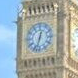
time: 12:32
